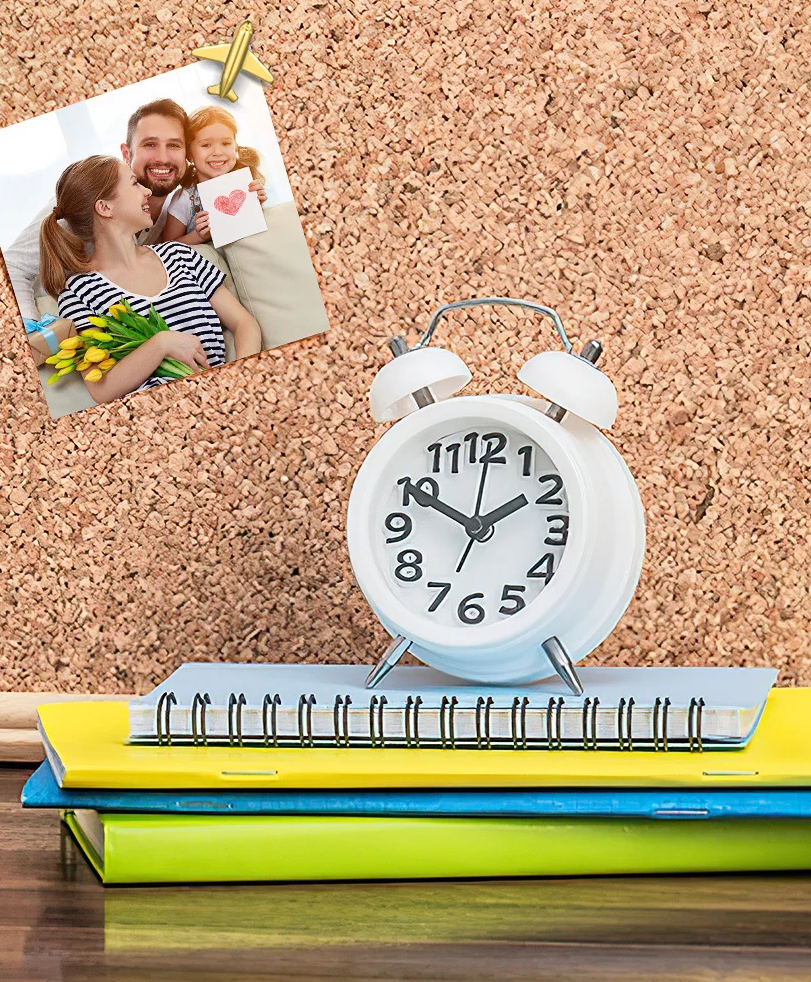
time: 1:49
